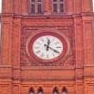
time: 12:20
